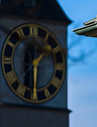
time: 1:30
